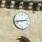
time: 2:43
